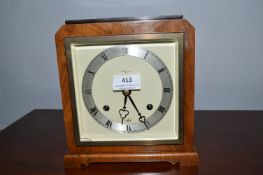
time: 6:24
